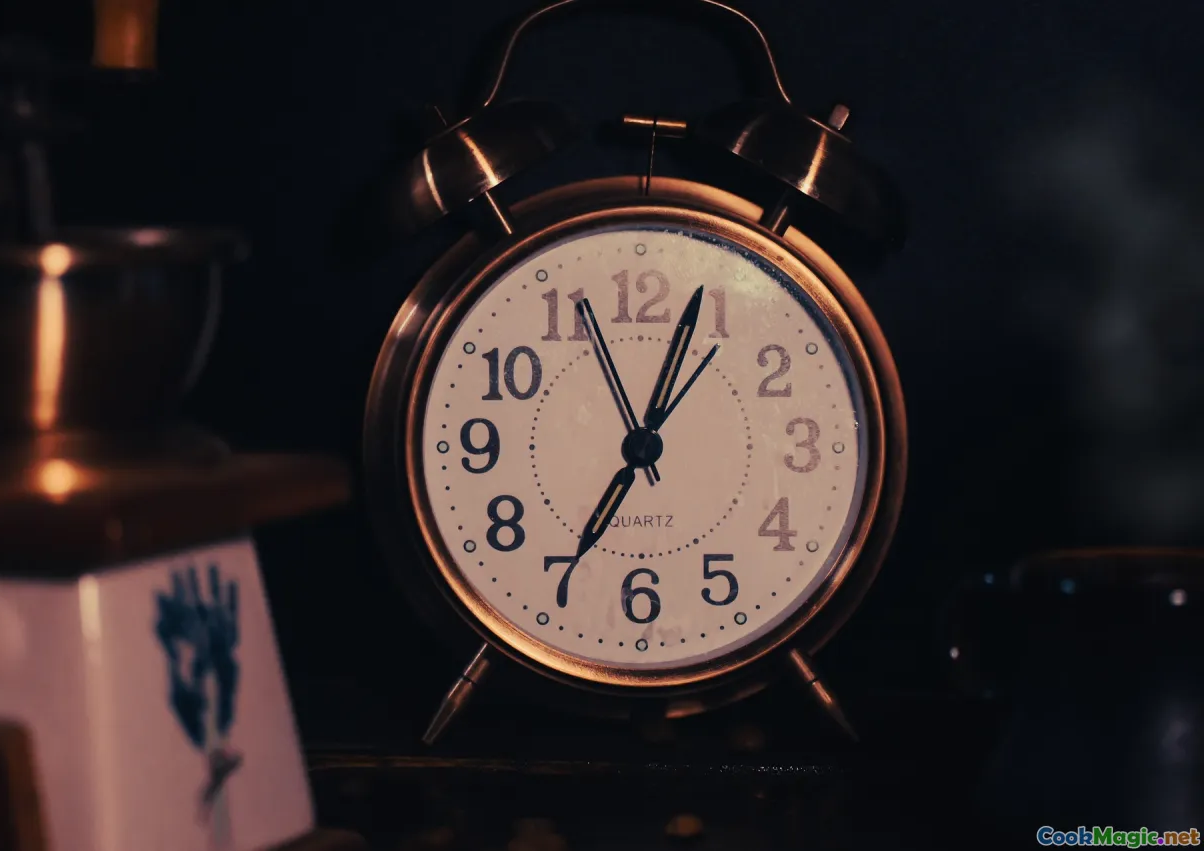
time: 7:03
